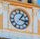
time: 1:16
